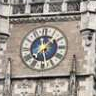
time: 1:28
